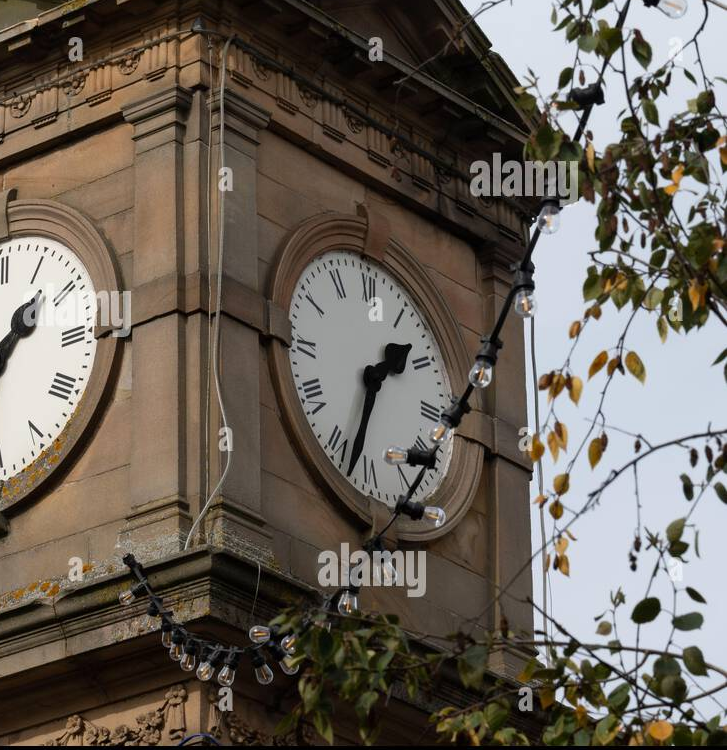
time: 1:32
